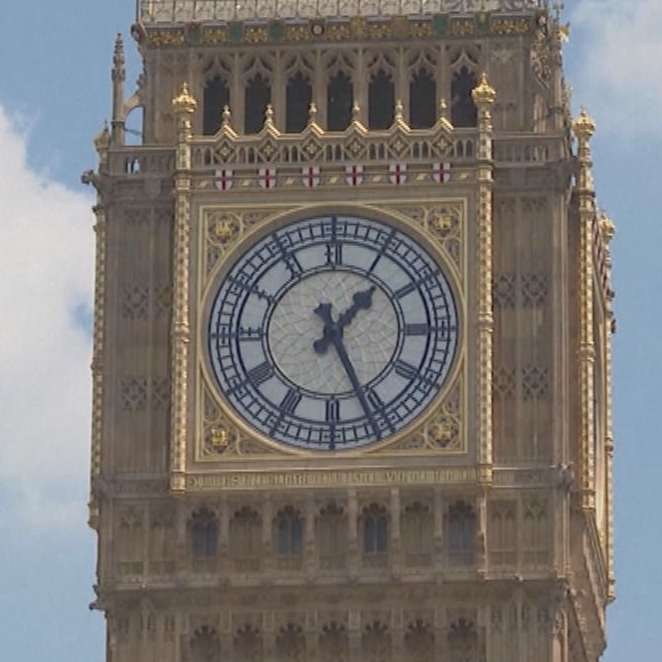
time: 1:26
